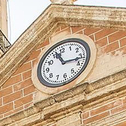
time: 11:16
